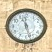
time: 11:27
